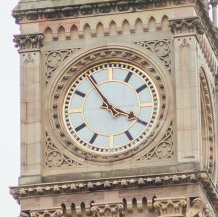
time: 3:54
